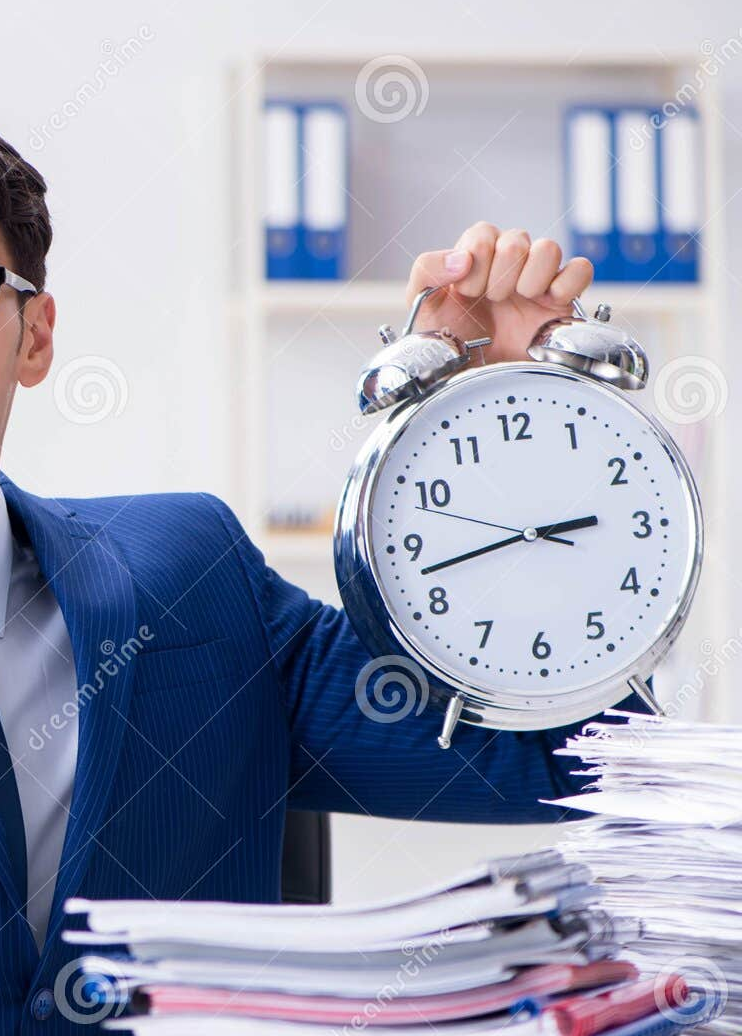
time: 2:42
